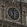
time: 11:32
